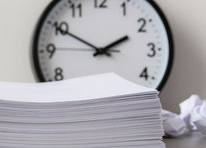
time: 1:49
